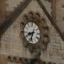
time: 8:33
